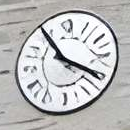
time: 3:54
